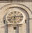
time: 6:13
